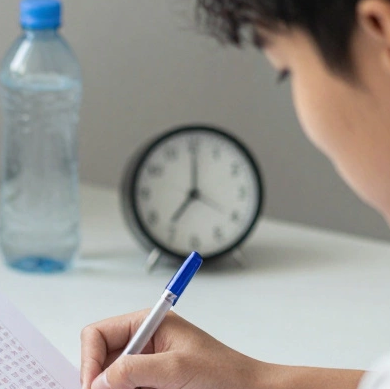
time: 7:00
